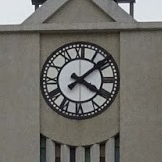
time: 4:08
